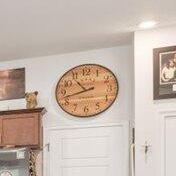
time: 10:42
